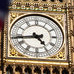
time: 4:43
